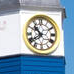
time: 10:39
